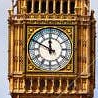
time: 11:49
